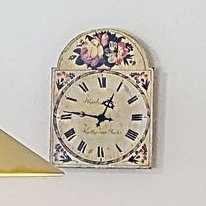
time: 12:46
